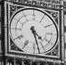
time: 4:27
